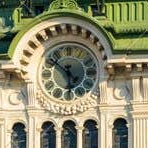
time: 5:51
